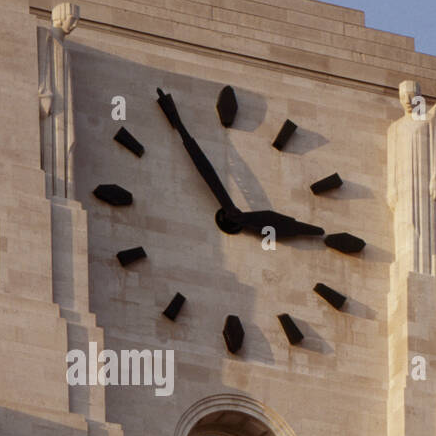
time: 2:54
